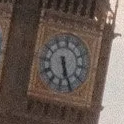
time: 5:26
